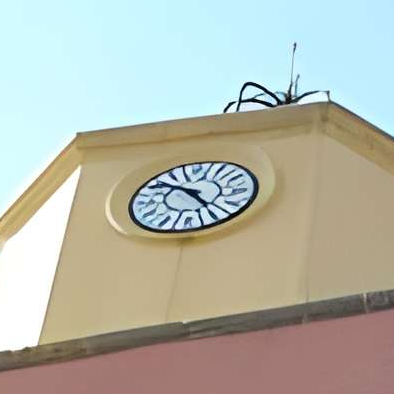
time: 10:24
